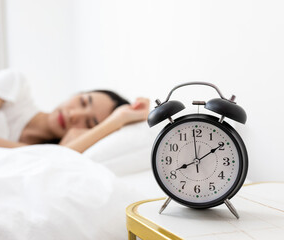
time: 8:09
